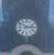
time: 2:50
